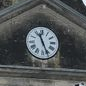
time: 11:26
